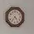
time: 4:36
